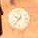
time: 9:36
